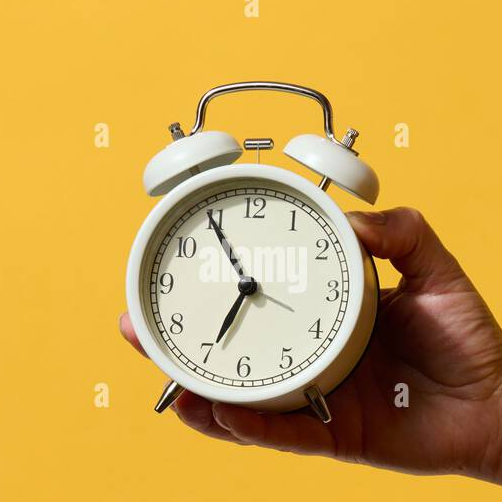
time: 6:54
